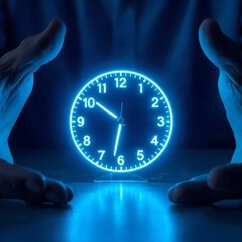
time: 10:31
